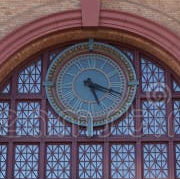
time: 5:18
